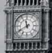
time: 11:40
